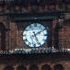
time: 5:09
